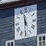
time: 11:30
